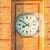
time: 7:49
